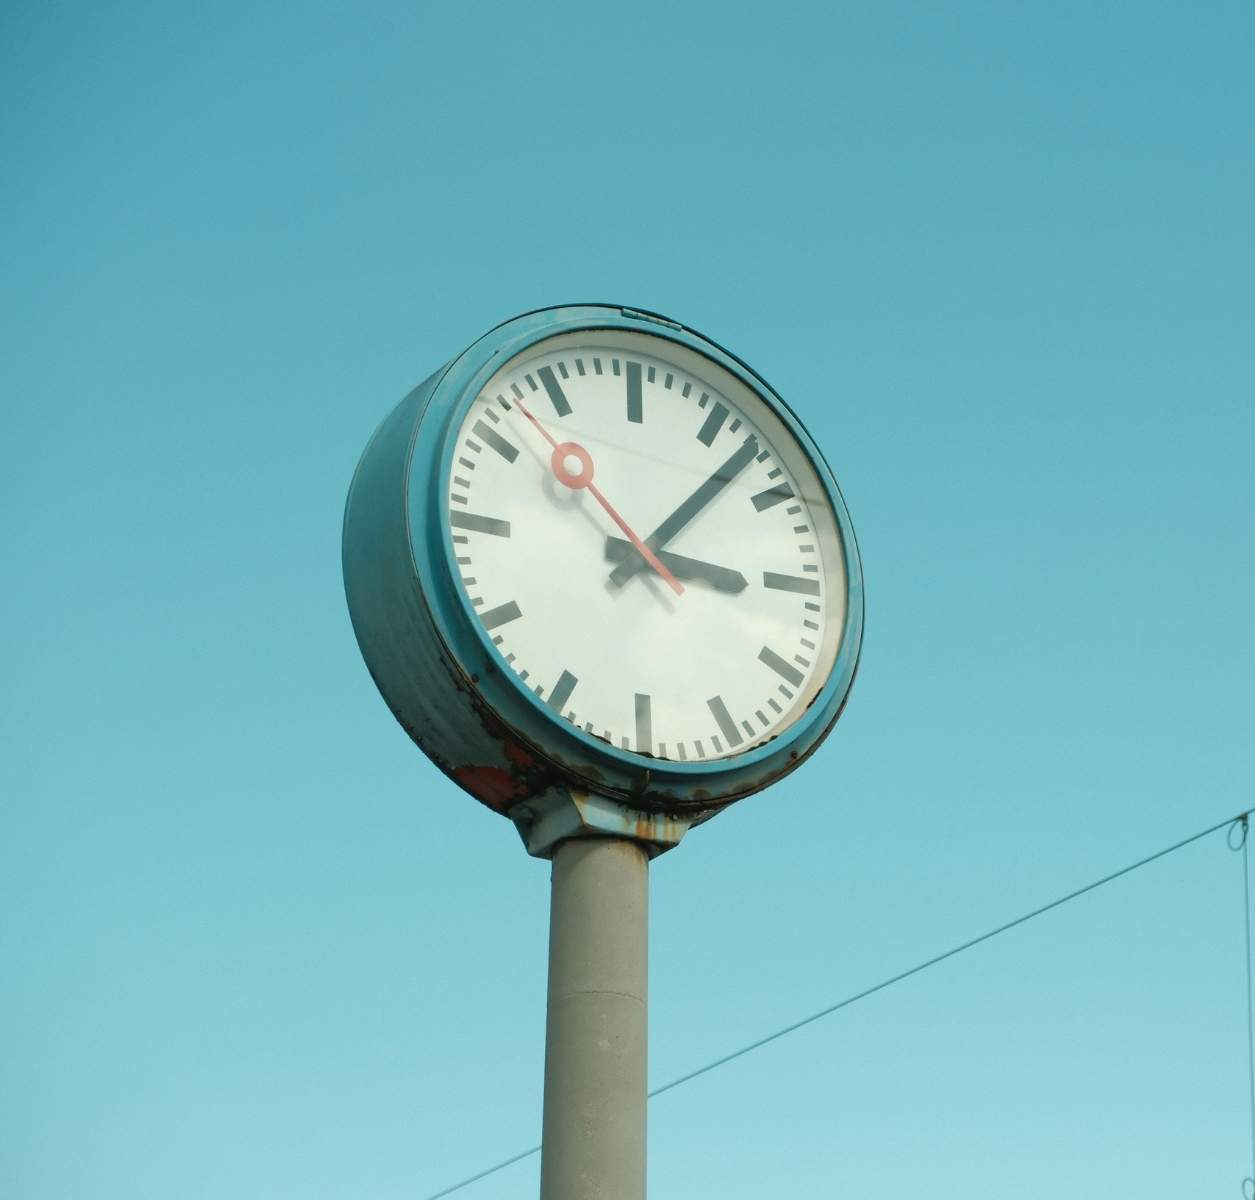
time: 3:07
